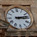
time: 3:13
